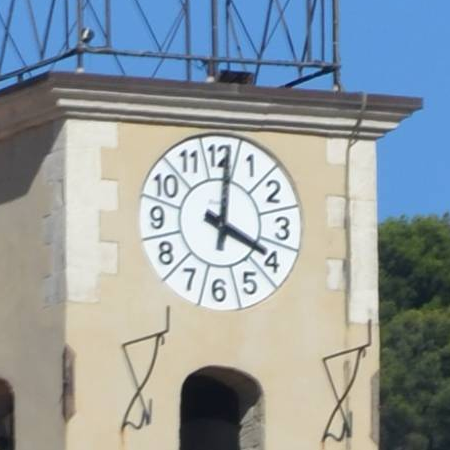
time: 4:01
